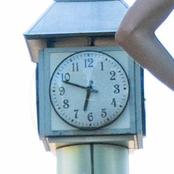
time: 6:48
